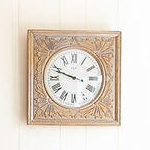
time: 9:48
